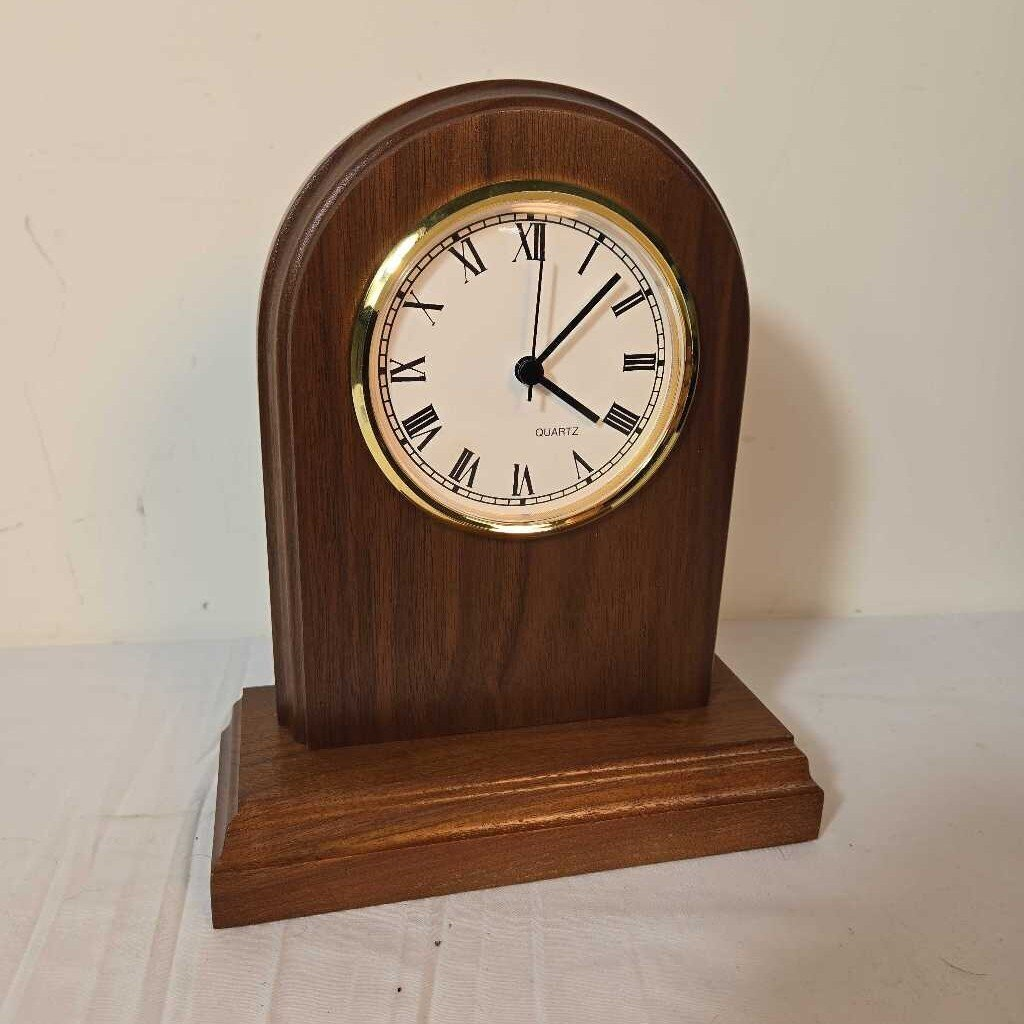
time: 4:07
